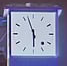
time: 5:57
